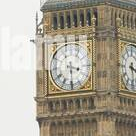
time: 3:29
